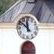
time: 11:51
